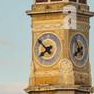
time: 7:51
